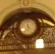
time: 11:37
